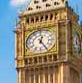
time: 12:24
